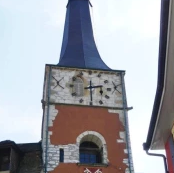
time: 2:29
